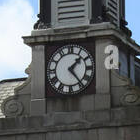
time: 1:23
